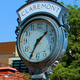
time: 1:34
